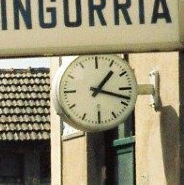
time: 1:18
